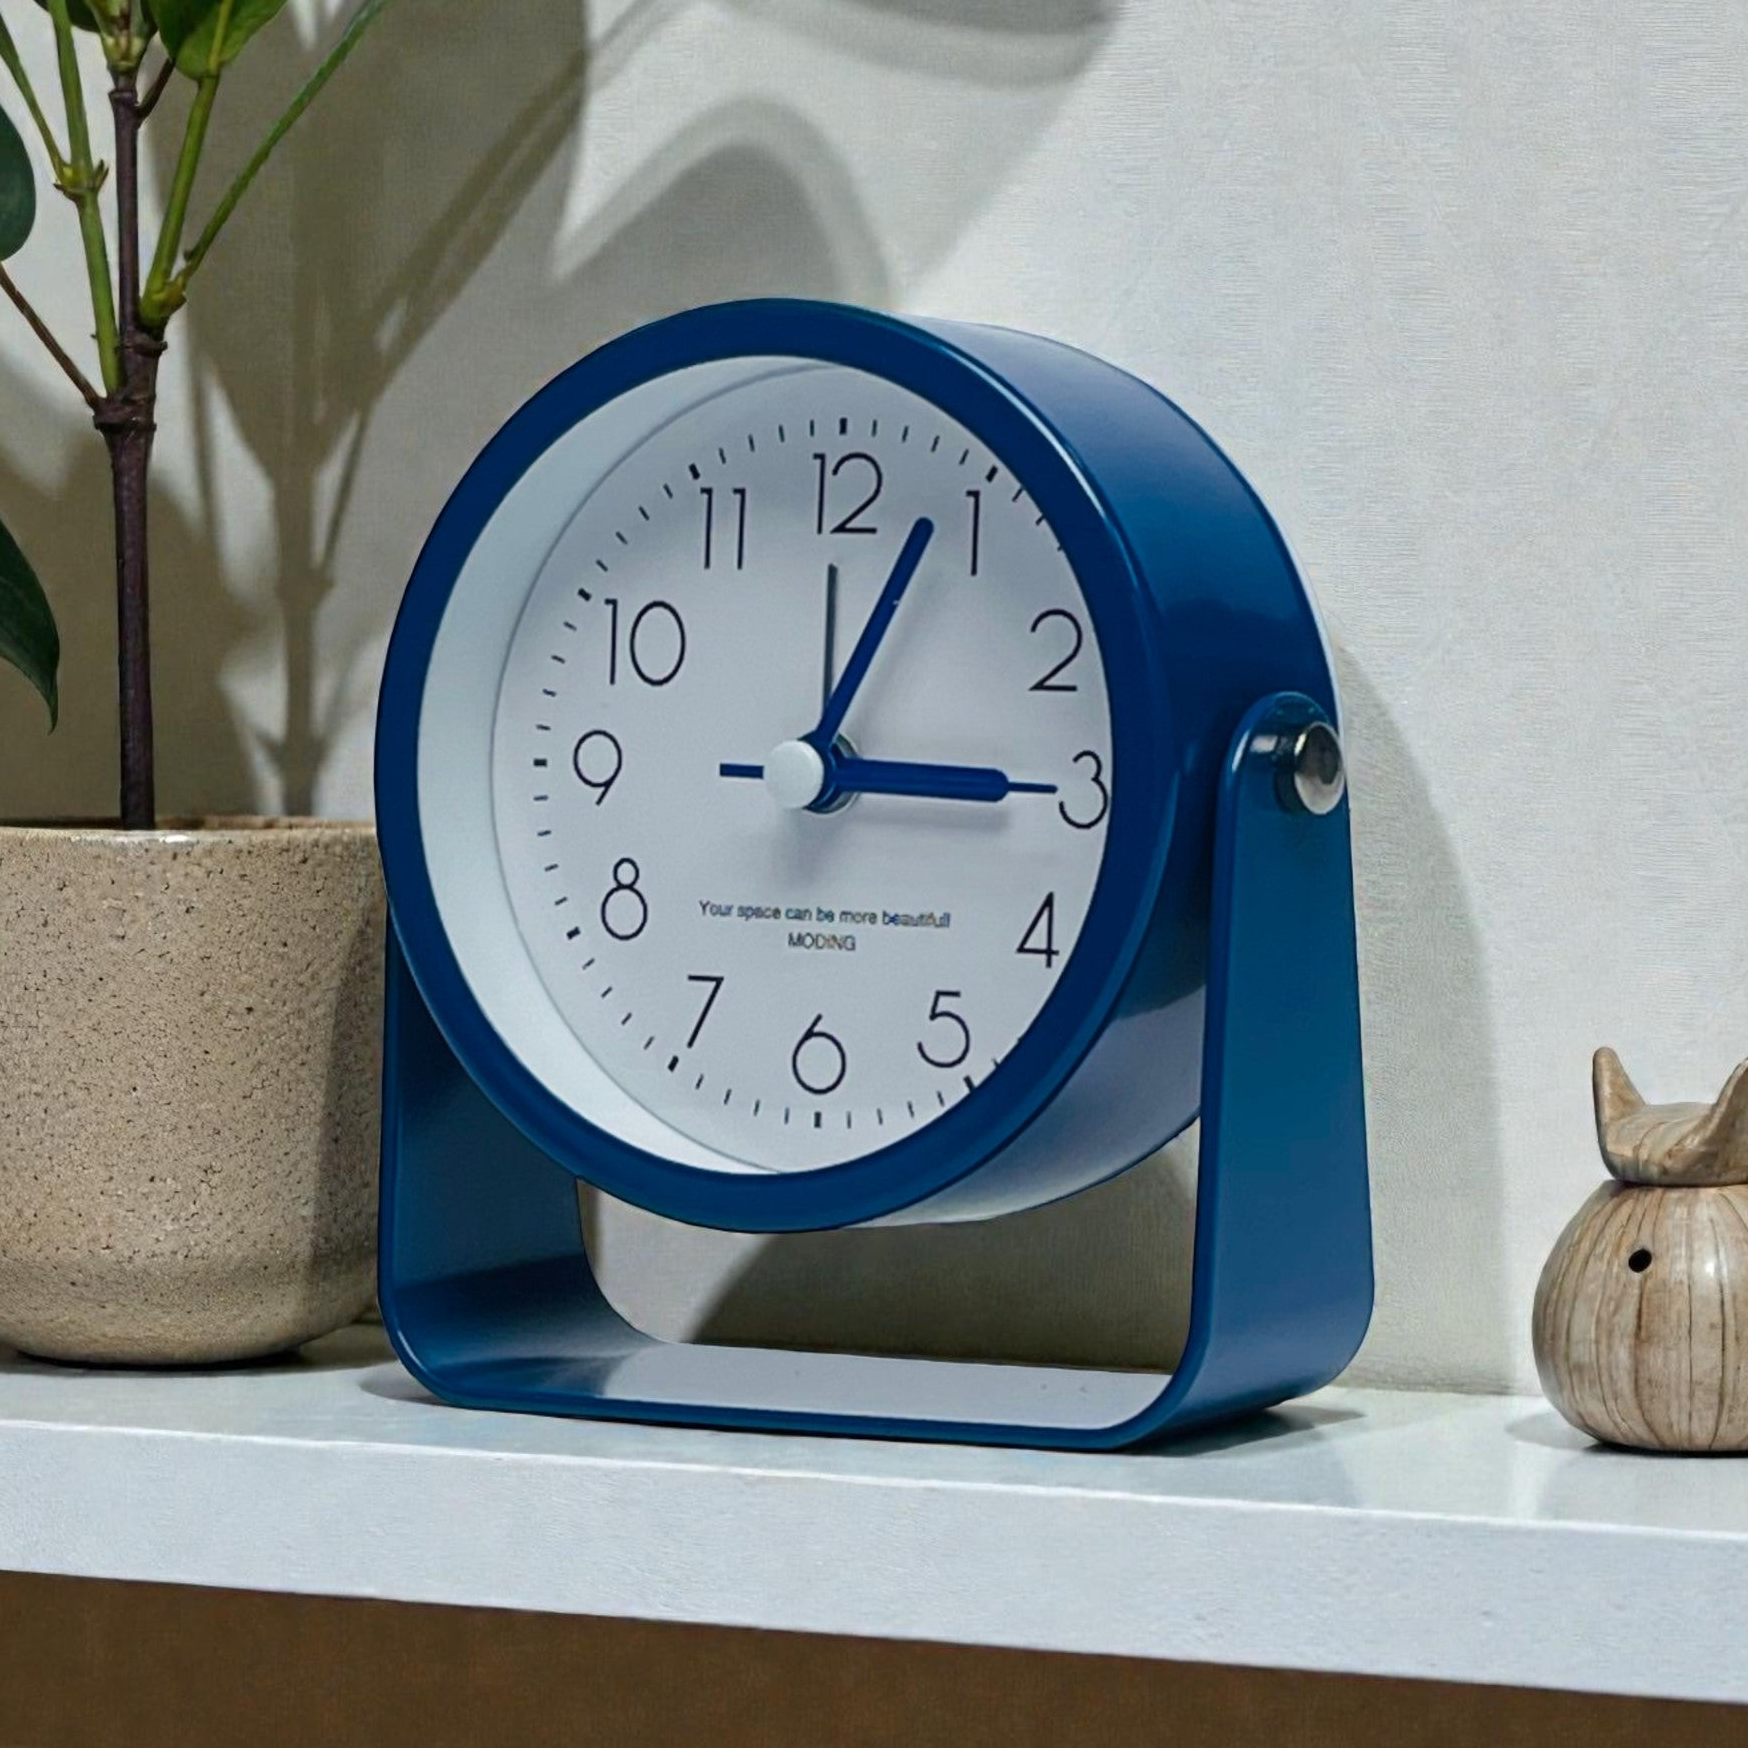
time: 3:03
